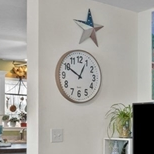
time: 12:50
